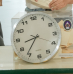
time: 8:36
